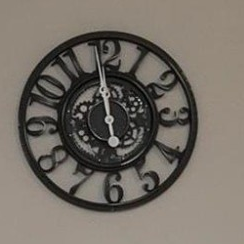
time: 5:59
